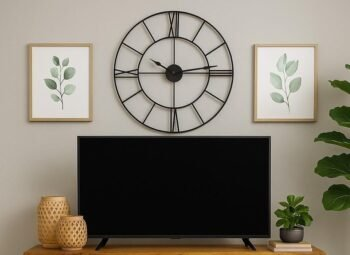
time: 10:14
